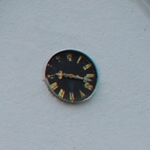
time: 9:17
